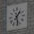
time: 1:28
